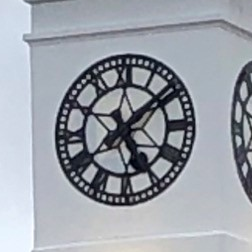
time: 5:08
